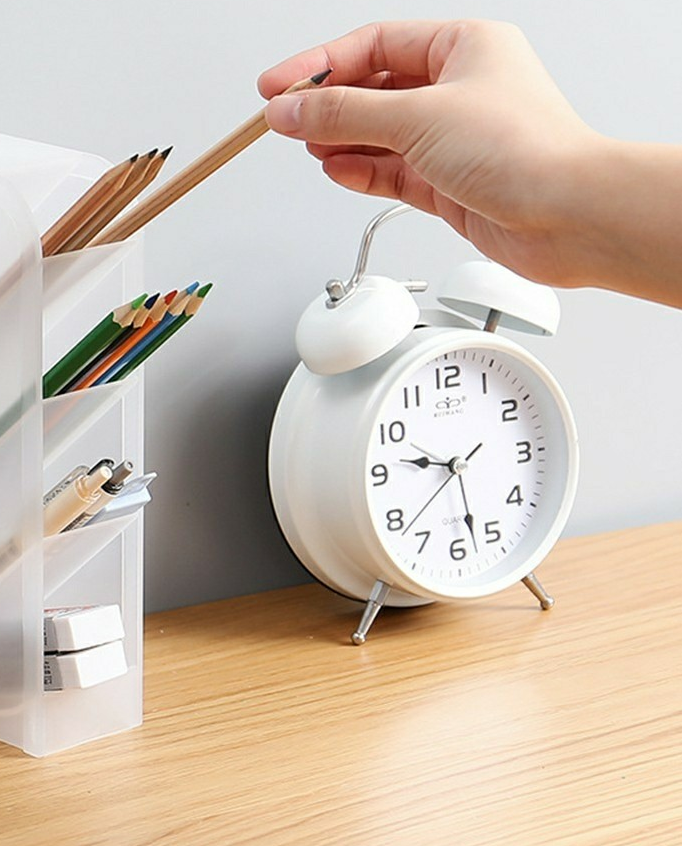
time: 9:27
